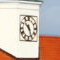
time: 10:26
